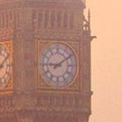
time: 9:09
